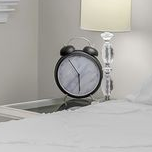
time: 5:54
